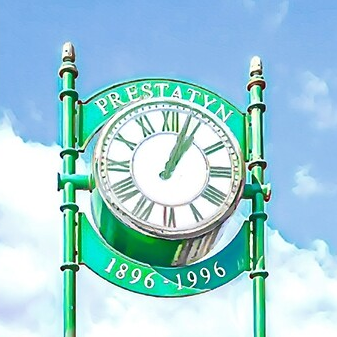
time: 1:03
